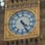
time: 4:25
